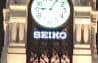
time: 9:05
